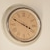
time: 3:49
